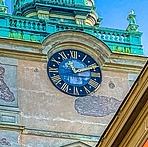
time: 11:11
